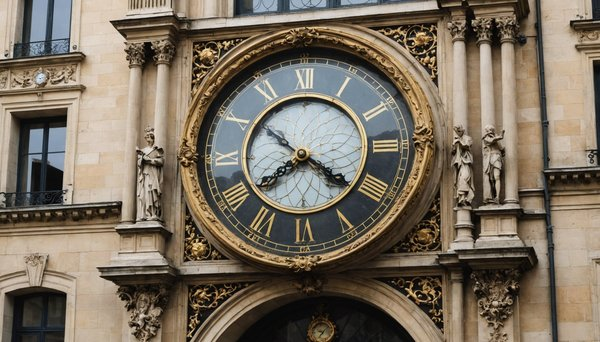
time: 7:51
